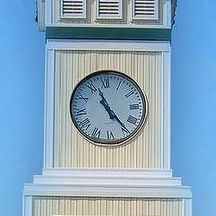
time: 11:24
